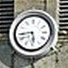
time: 5:43
